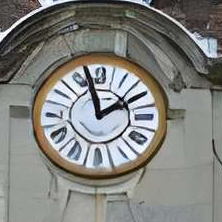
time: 1:57
